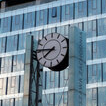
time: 7:46
